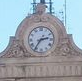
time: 2:36
